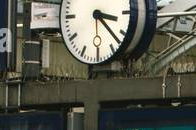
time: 3:22
